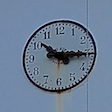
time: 10:15
